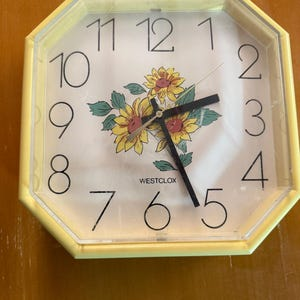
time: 2:26
